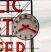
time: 8:19
